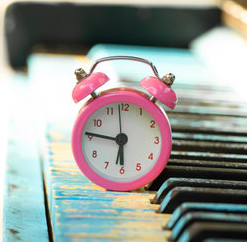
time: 5:46
